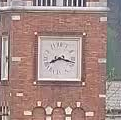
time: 8:17
